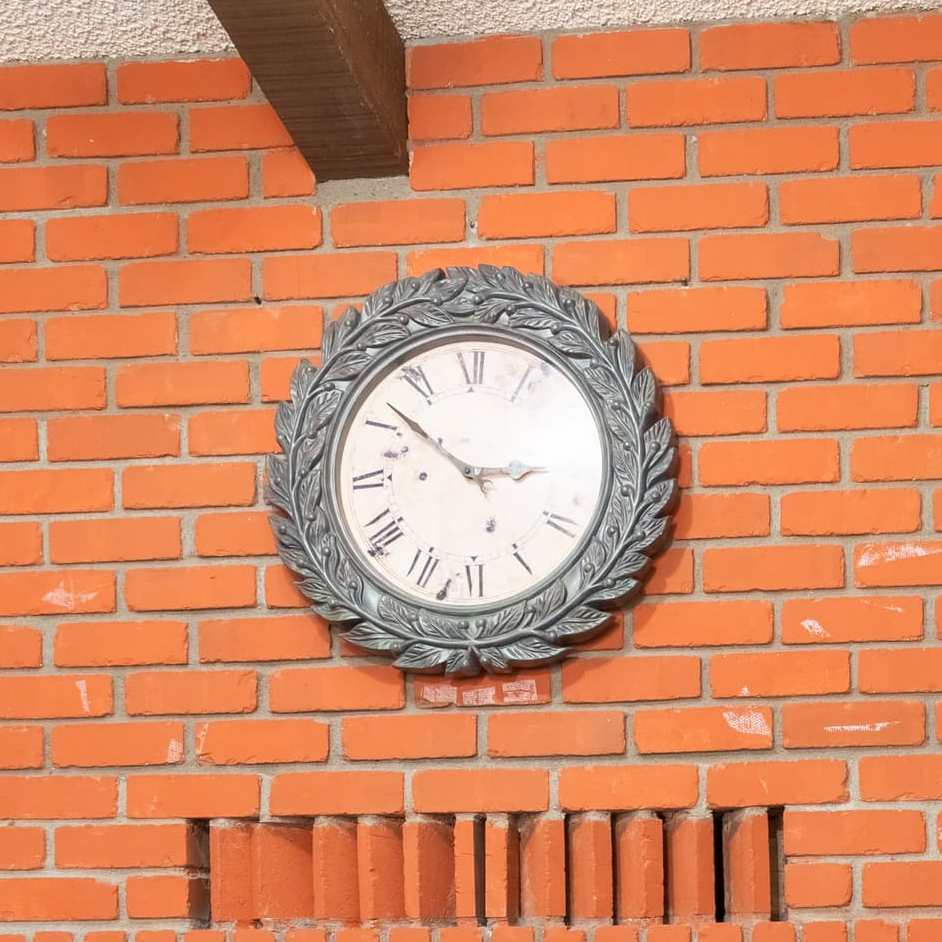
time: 2:52
